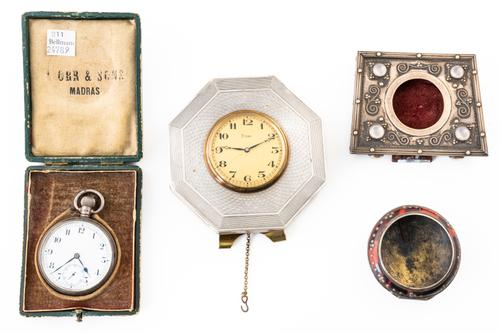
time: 9:10
